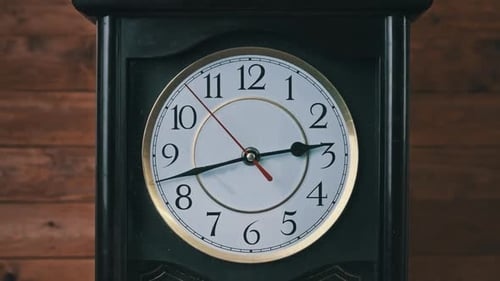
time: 2:42
